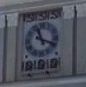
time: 11:18
